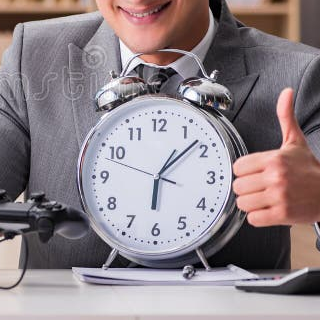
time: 6:08
